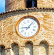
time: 9:07
